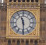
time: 11:29
